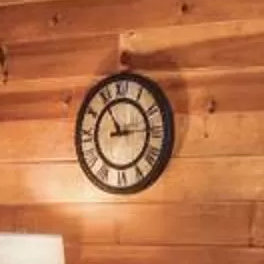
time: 2:54
